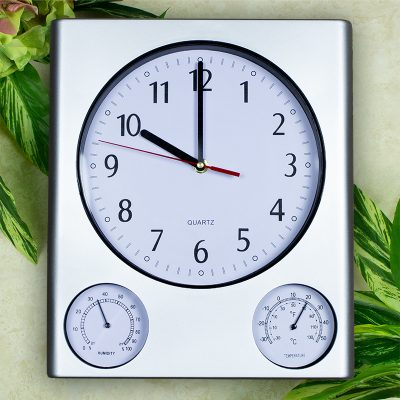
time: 9:59
